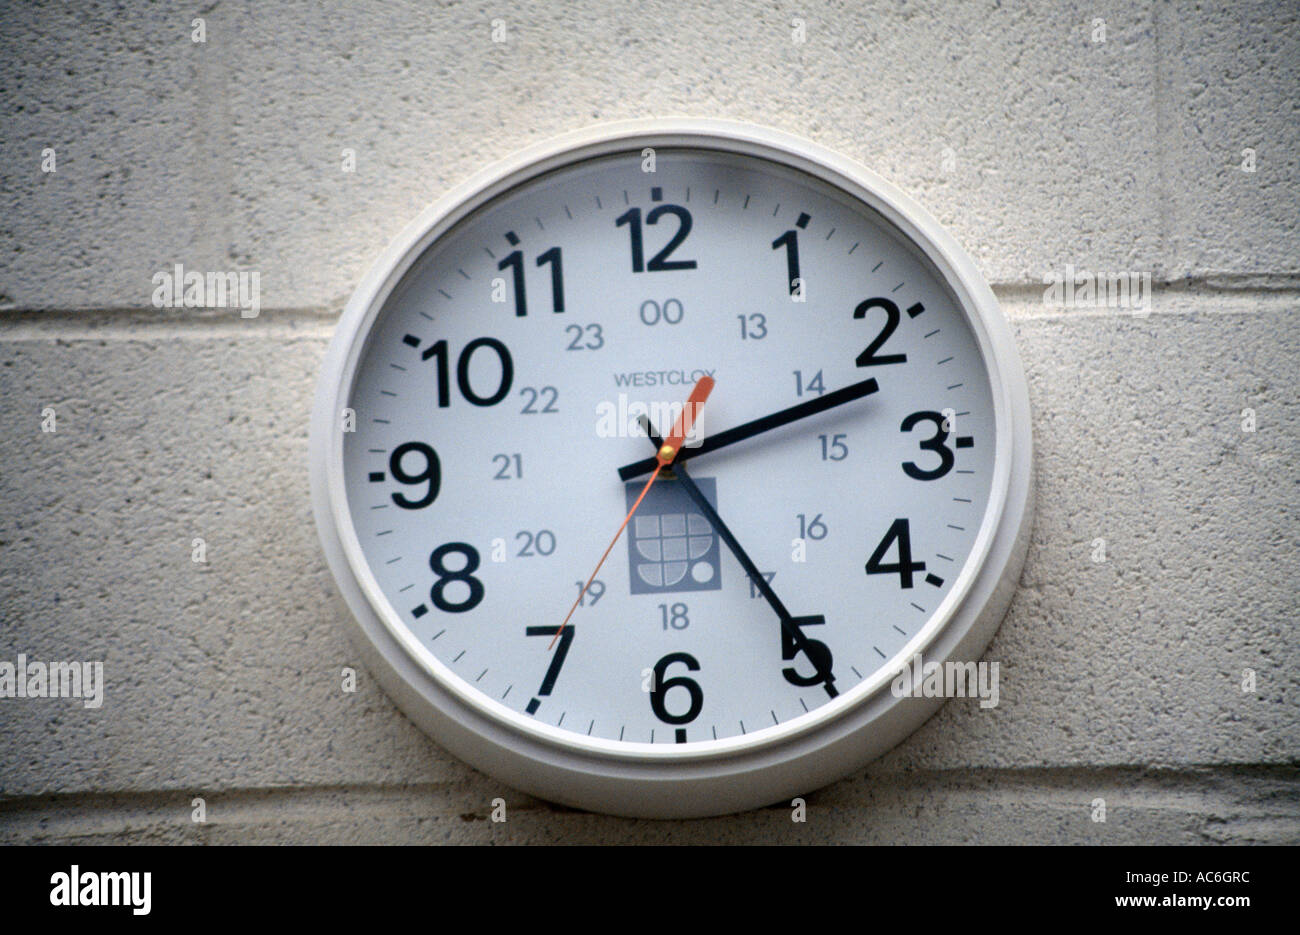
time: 2:24
